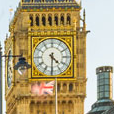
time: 4:30
